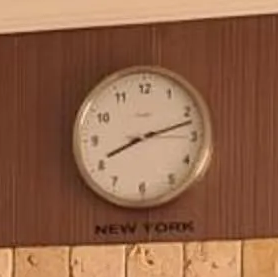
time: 8:12
